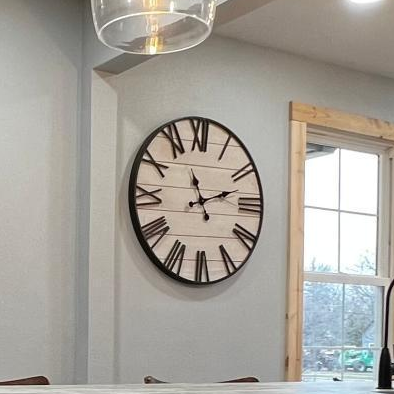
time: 11:12
